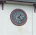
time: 1:22
